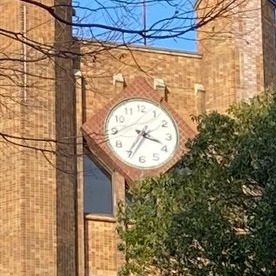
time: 3:35
